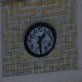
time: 1:29
